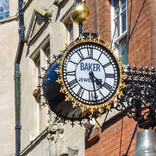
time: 4:28
